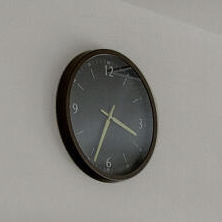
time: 3:33
